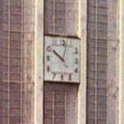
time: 10:02
